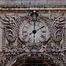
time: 2:00
